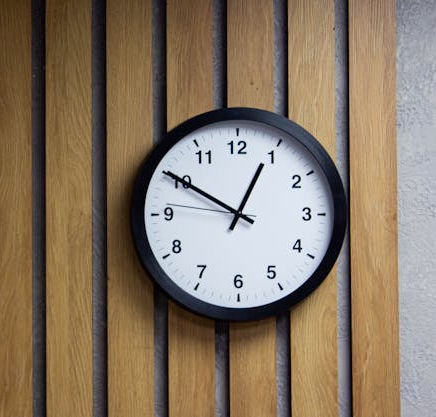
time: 12:49
